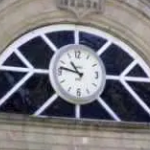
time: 10:47
